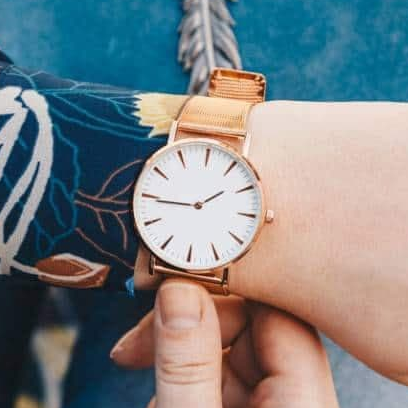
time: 1:44
